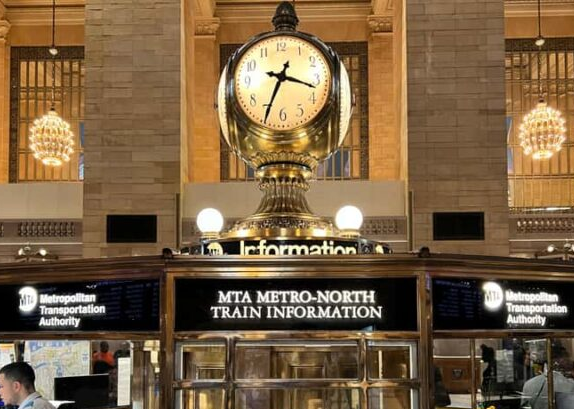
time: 3:34
